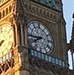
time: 7:43
